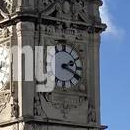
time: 2:18
